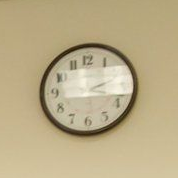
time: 2:18
